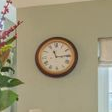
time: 11:14
